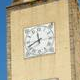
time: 11:41
